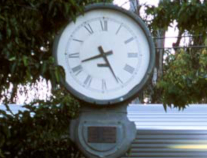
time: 8:25
